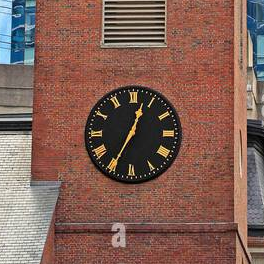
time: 12:34
